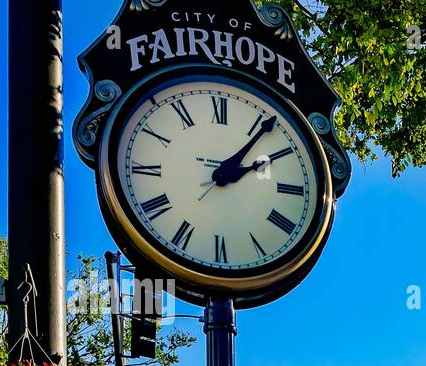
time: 2:06
